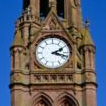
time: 2:18
